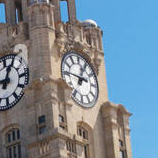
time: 12:46
